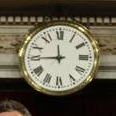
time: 11:45
